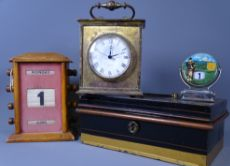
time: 12:11
